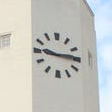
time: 9:14
